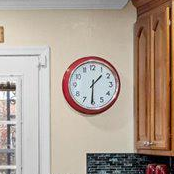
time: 1:30
